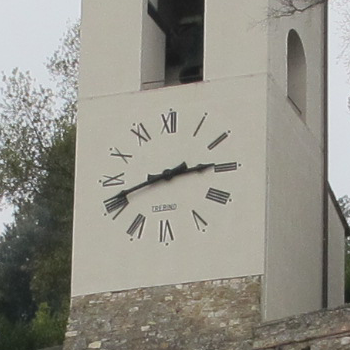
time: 2:41
